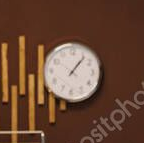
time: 1:06
